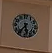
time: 5:36
